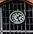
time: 1:26
